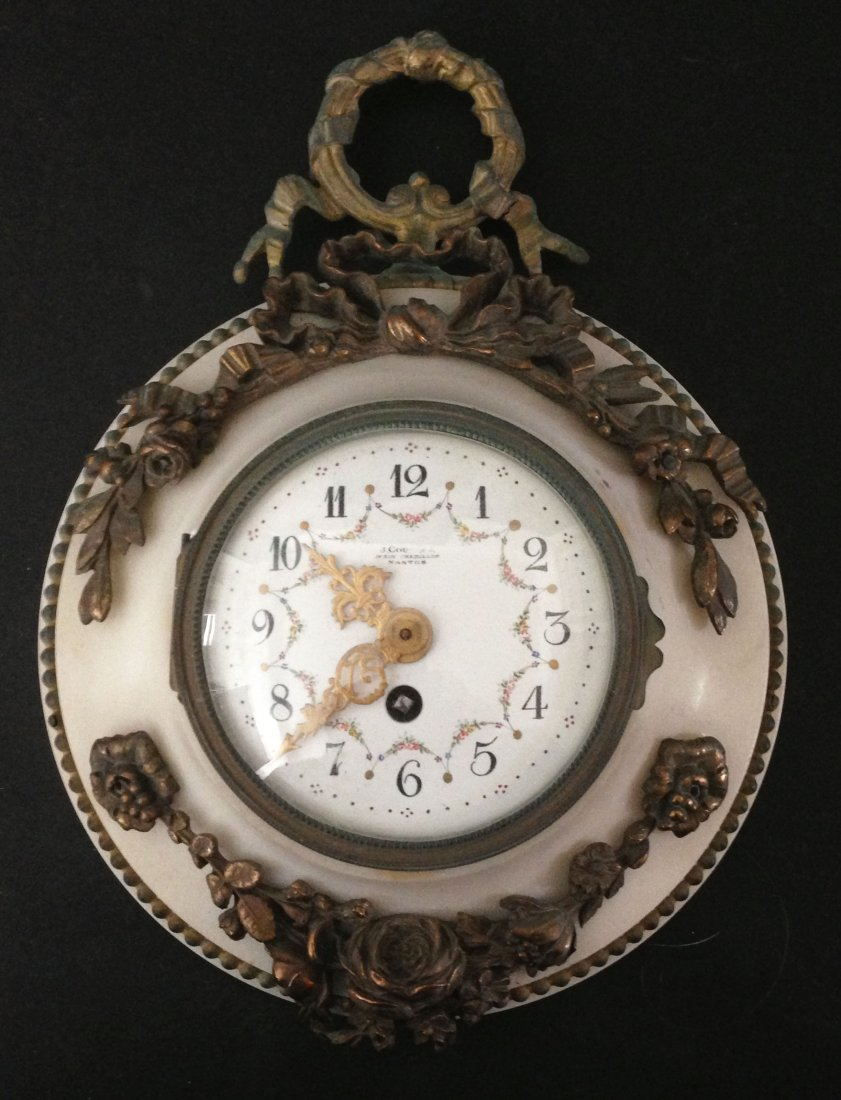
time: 10:37
